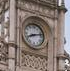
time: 8:12
